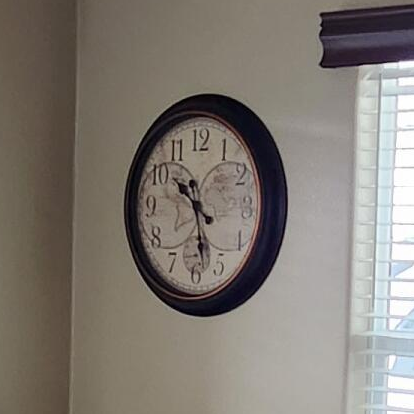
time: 10:28
